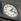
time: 1:18
